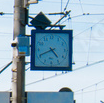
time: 4:40
